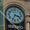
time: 3:34
